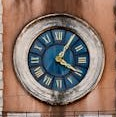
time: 4:05
